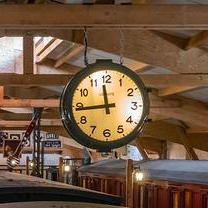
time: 11:43
